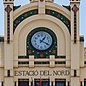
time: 1:20
